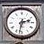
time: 2:32
